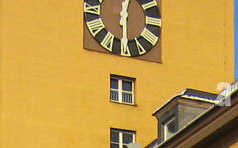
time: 12:29
